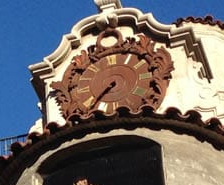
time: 7:36
